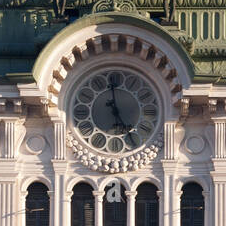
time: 4:59
